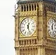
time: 12:26
